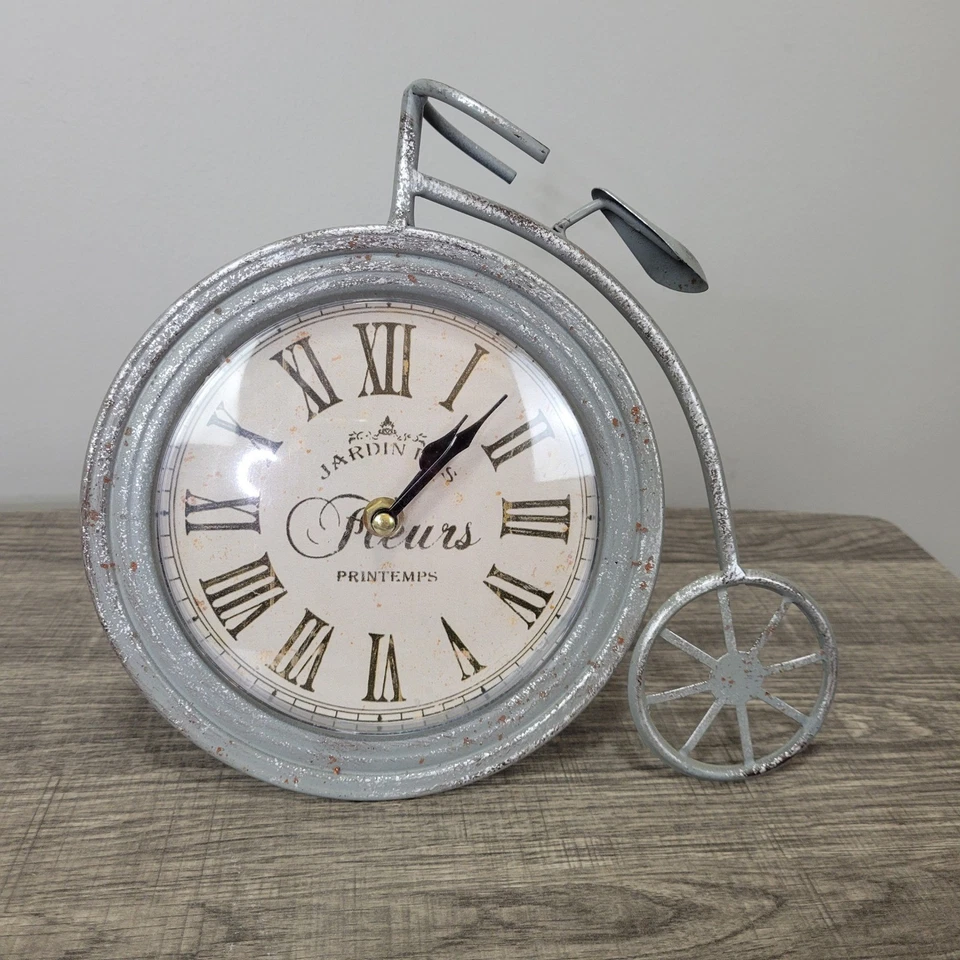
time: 1:07
